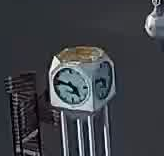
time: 4:46
